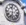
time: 11:32
